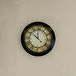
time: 11:52
